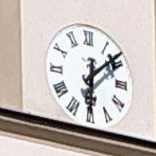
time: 6:08
